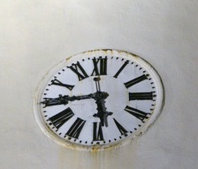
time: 5:44
